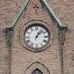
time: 1:07
